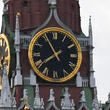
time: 7:55
